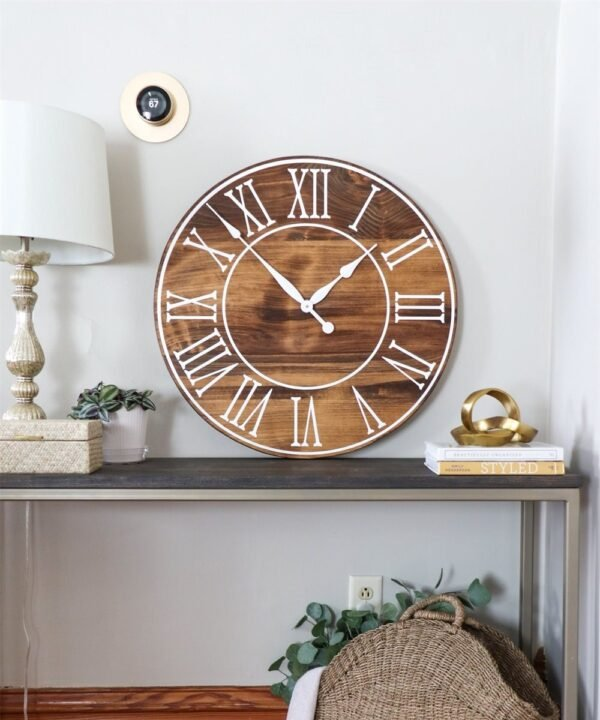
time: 1:52
